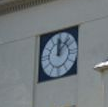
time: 12:07
